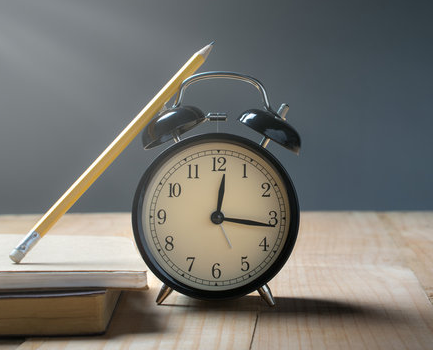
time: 12:16
